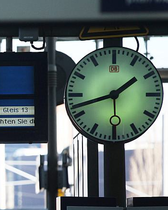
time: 1:42
